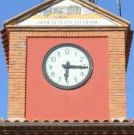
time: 6:15
